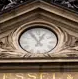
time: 12:55
